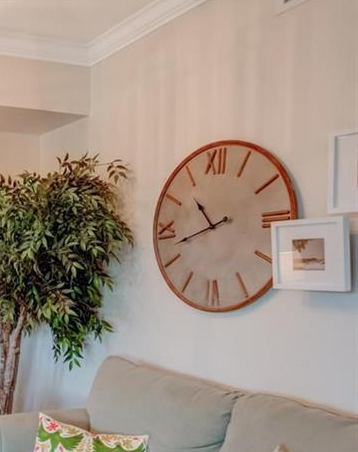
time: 10:42
